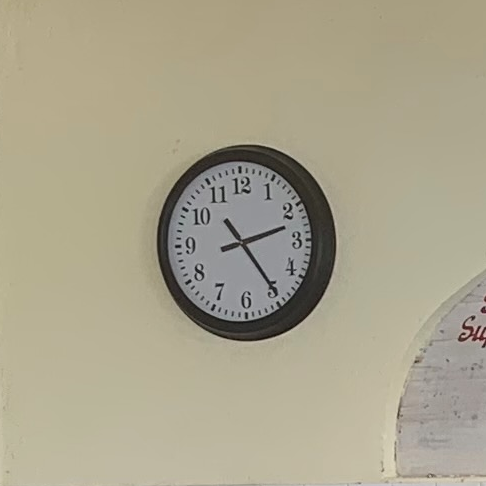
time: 2:24
